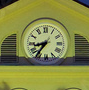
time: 8:36
